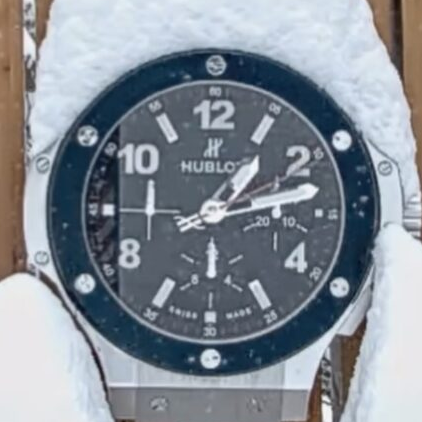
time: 1:12
